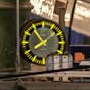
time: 7:53
